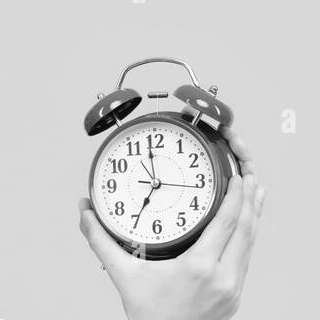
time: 6:59
